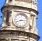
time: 2:40
